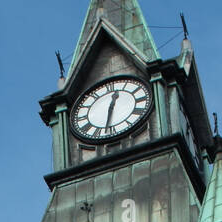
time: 12:32
